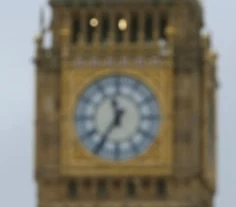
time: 11:35
